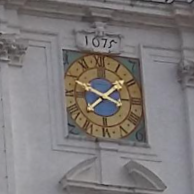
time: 1:49
